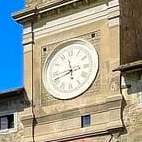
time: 11:42
